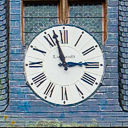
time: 2:57
